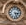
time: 3:26
